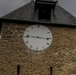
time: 9:15
